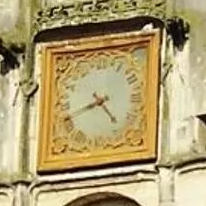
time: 4:42
